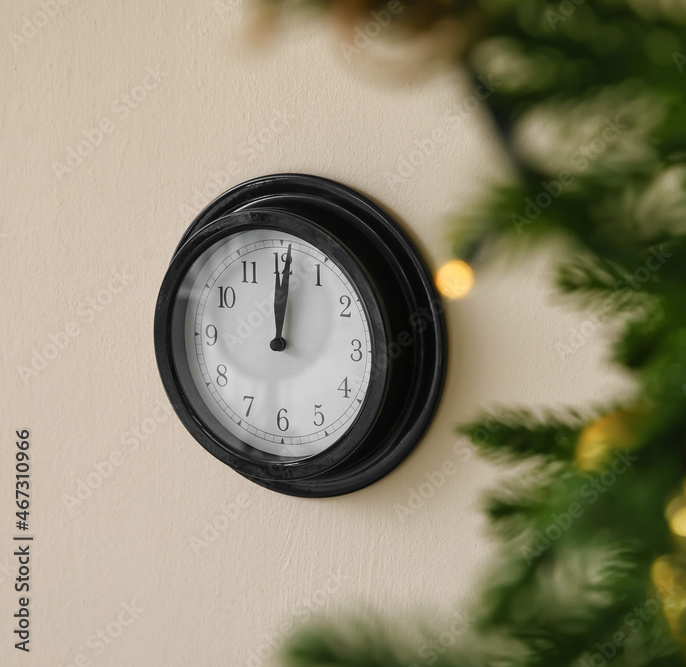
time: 12:01
